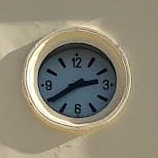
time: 2:39
